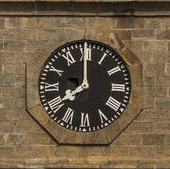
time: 7:59
